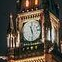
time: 11:28
